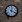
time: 4:01
